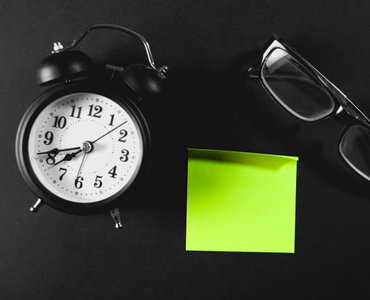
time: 7:41
